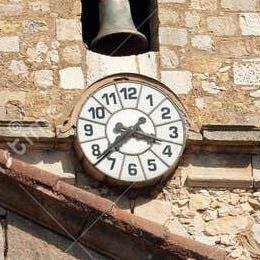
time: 3:37
